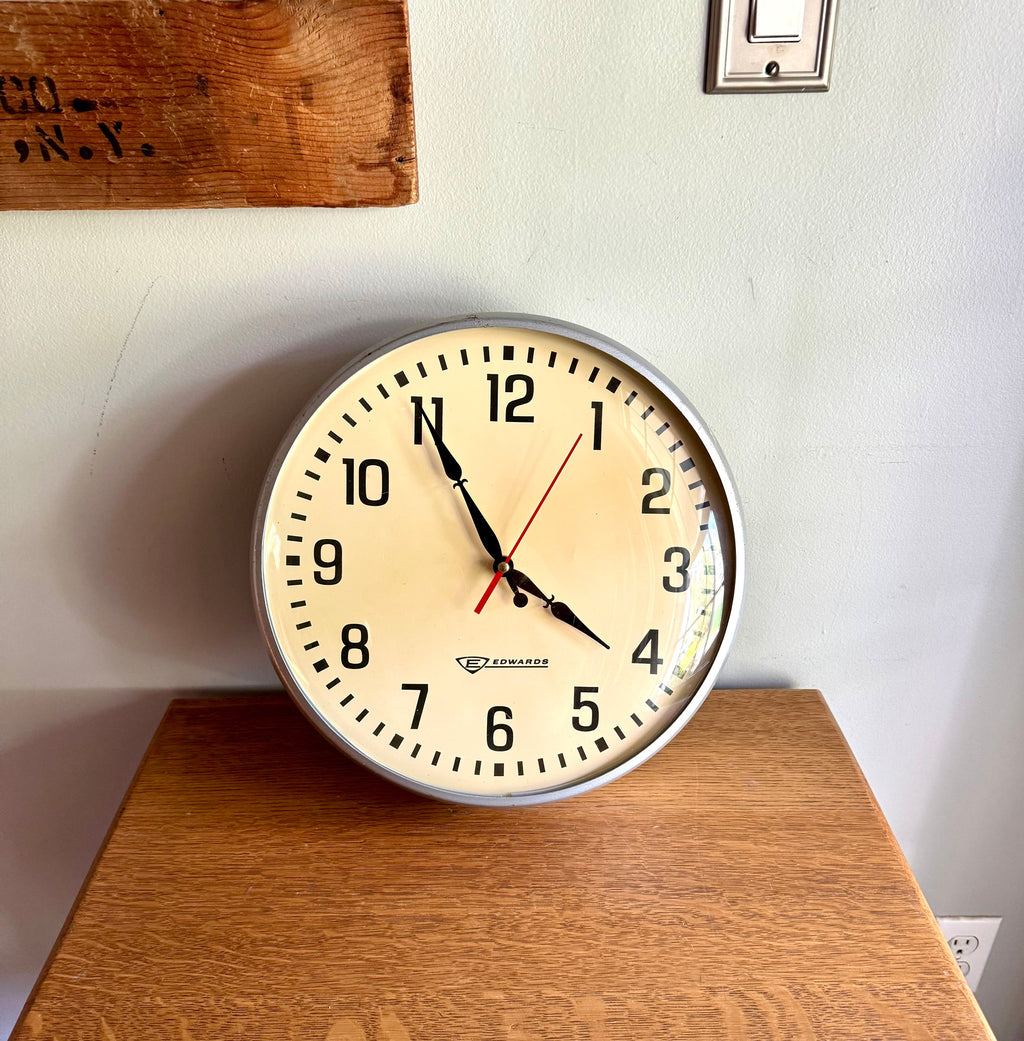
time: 3:55
